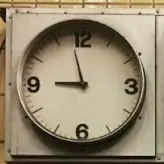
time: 8:57
